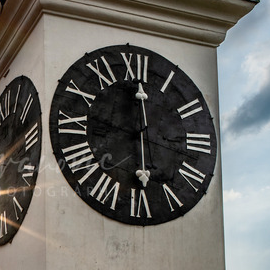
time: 6:00
